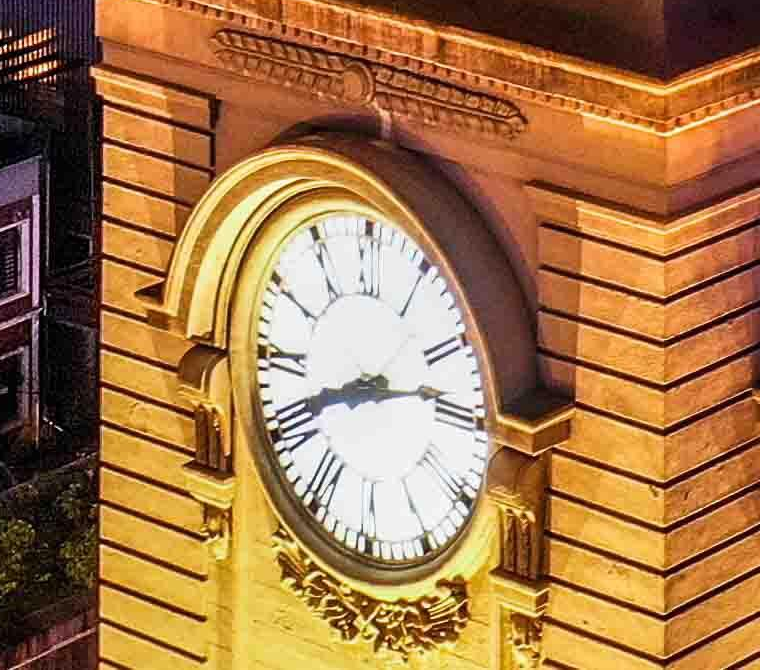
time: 8:12
